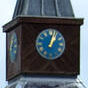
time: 1:02
